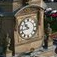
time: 10:43
